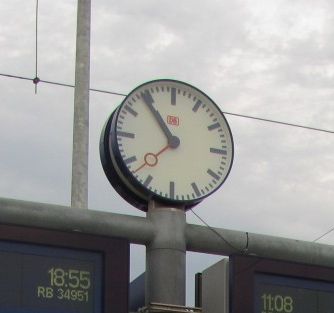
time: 10:53
